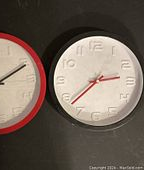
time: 2:38
